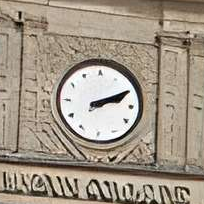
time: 2:10
